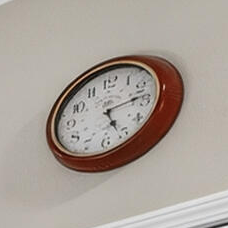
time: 5:12
